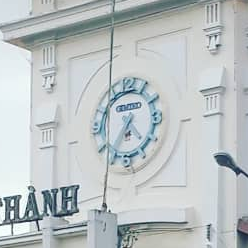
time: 4:35
